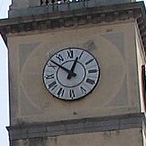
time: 12:51
